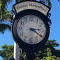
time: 3:20
